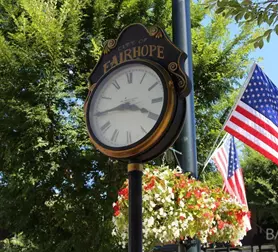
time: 3:44
